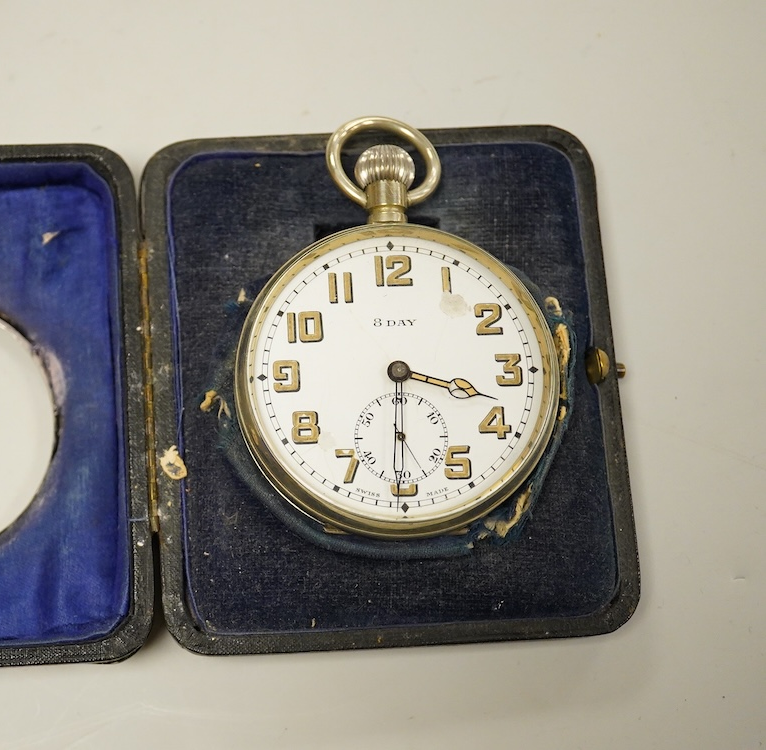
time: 3:30
